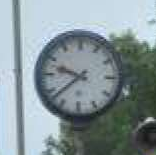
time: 9:38
